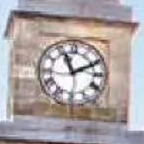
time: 11:10
